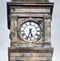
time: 5:33
